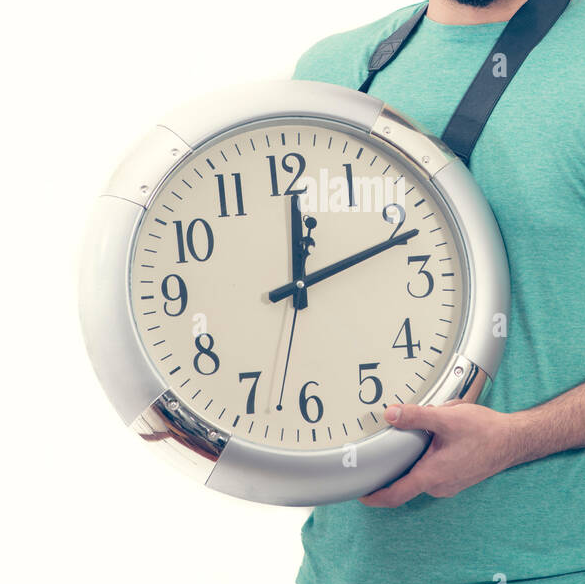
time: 12:11
